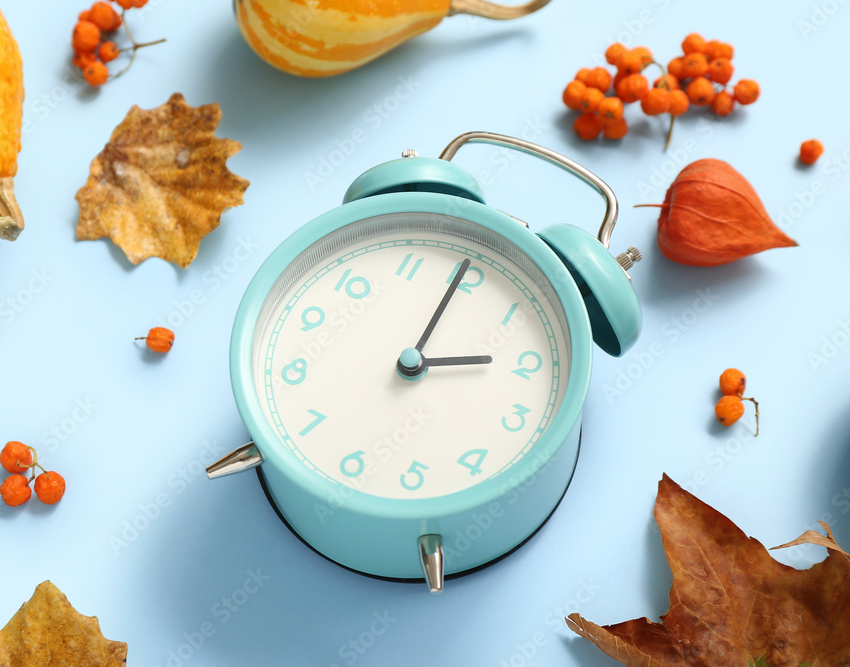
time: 3:04
